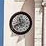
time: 11:41
